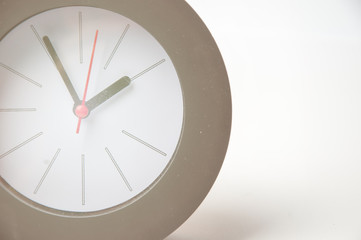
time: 1:55
